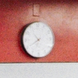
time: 10:40
